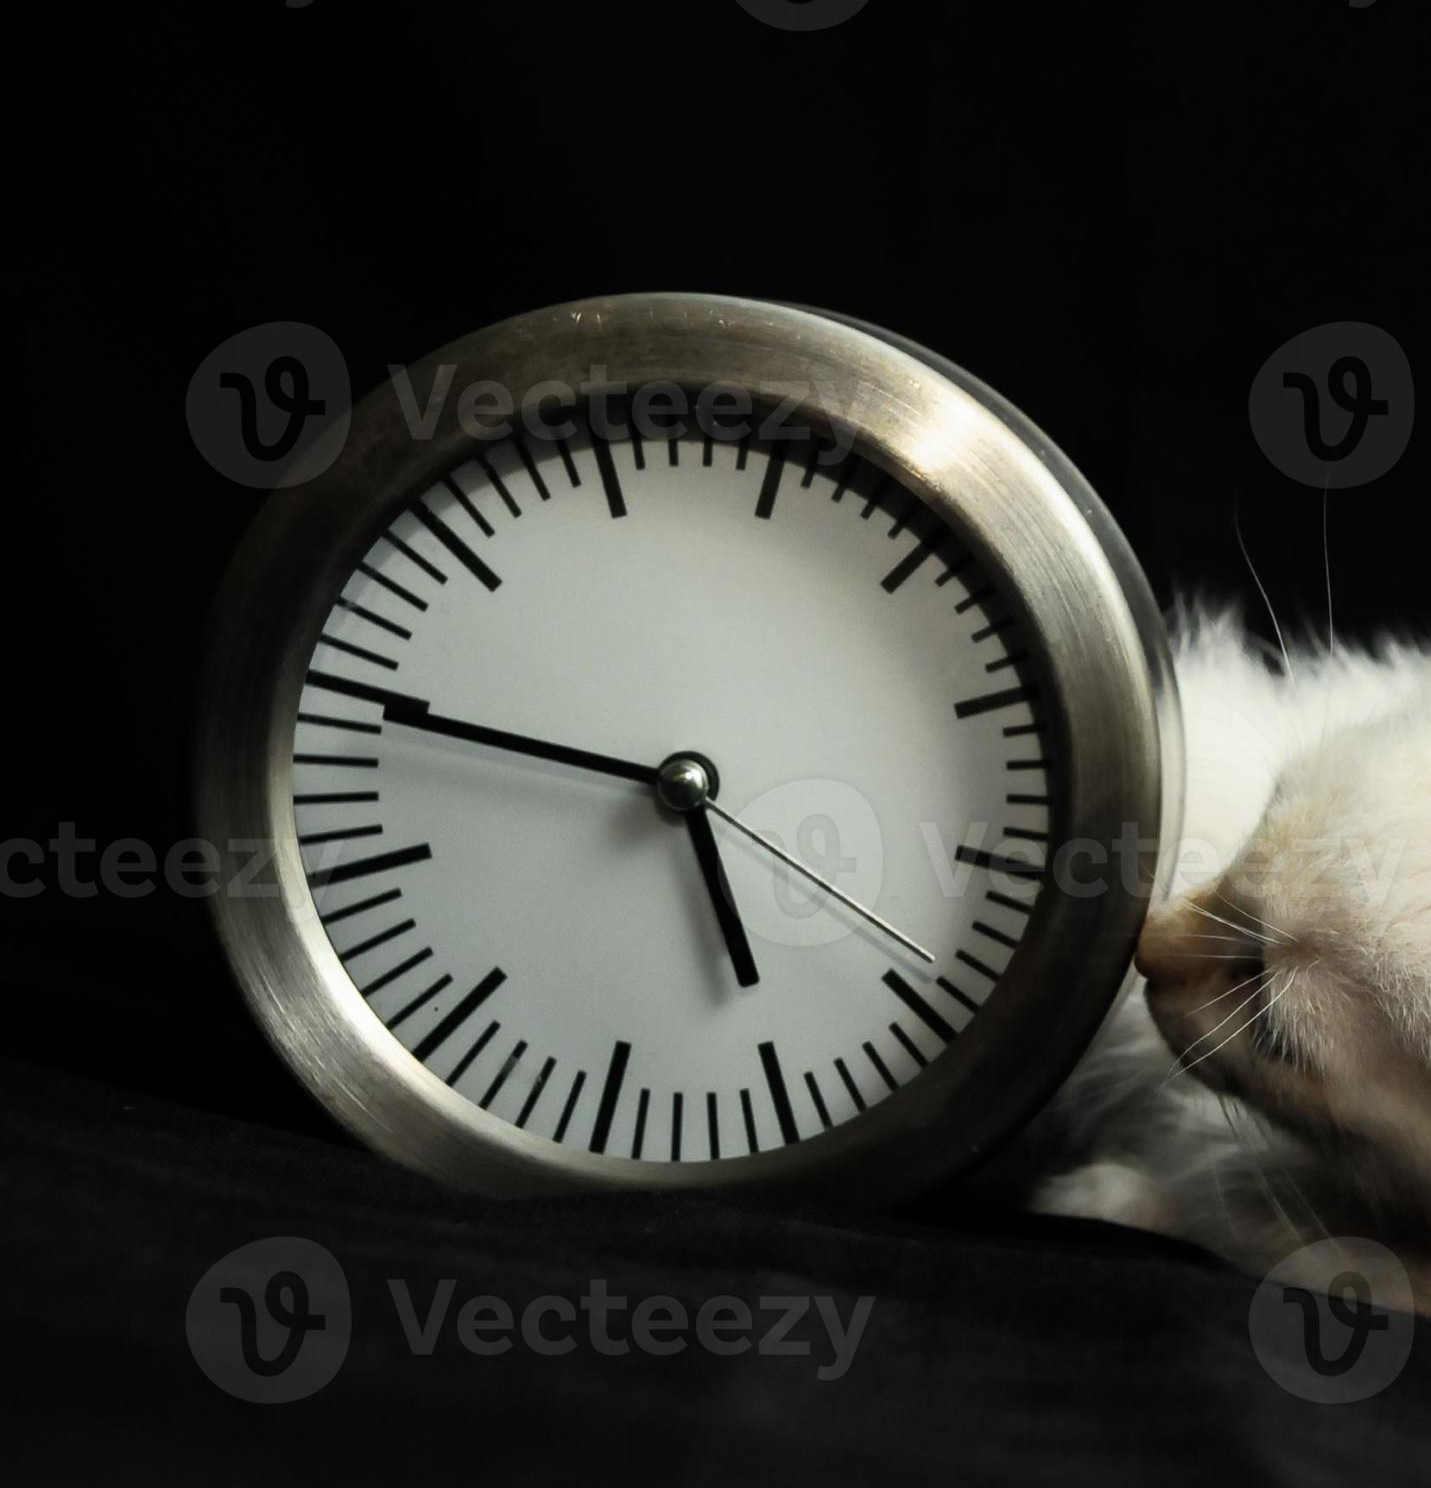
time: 5:49
